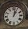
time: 1:02
